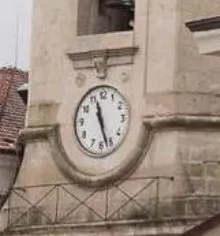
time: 11:26
